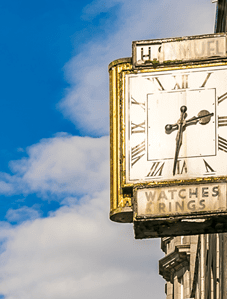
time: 2:31
